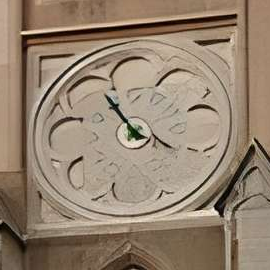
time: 3:54
